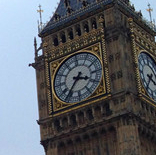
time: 3:36
